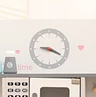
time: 9:19
